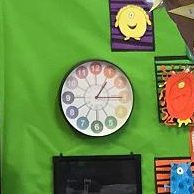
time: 1:15
